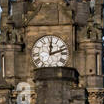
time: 12:11
